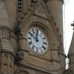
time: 11:50
